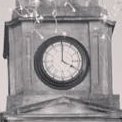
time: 4:00
